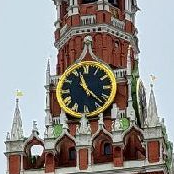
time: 11:22
